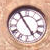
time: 4:54
